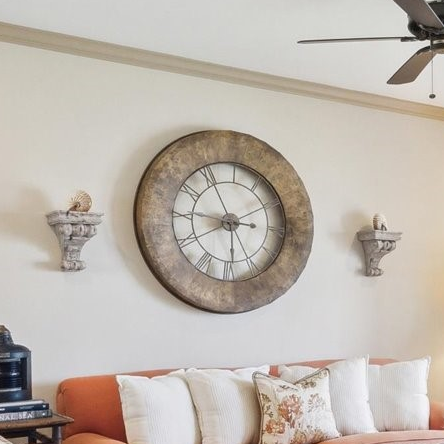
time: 8:55
